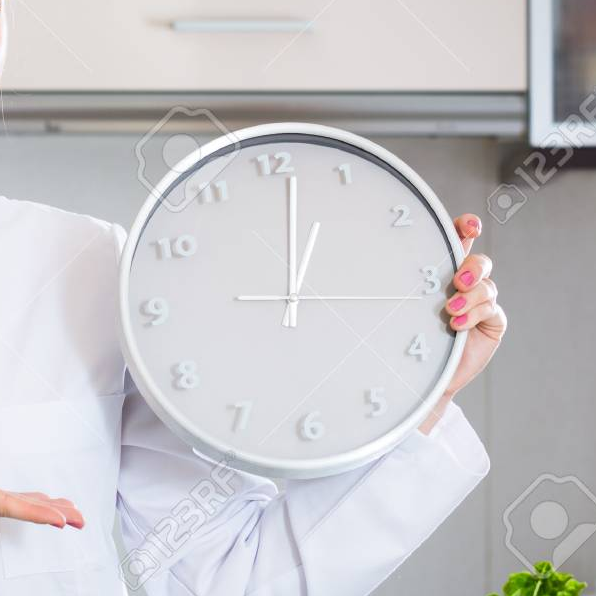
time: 1:01
